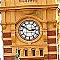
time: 2:50
